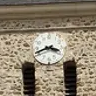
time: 3:41
